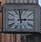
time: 2:59
